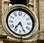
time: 7:25
